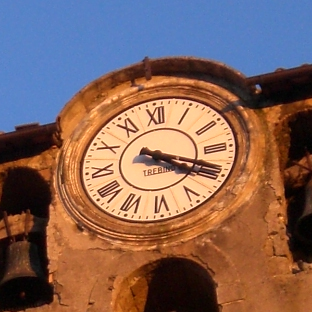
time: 4:19
